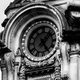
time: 1:24
